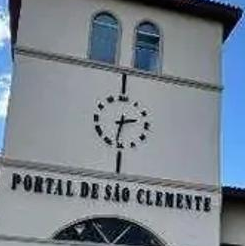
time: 2:31
